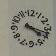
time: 4:17
